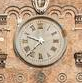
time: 9:36
